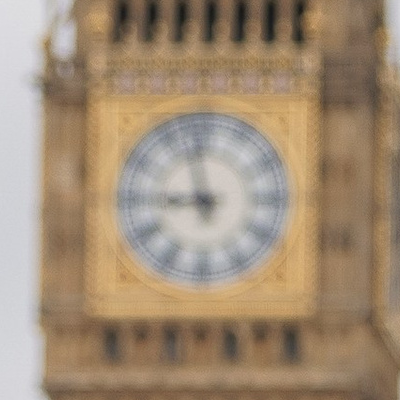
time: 8:57
